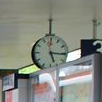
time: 5:15
